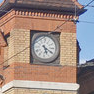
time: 5:19
